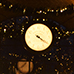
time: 4:20
